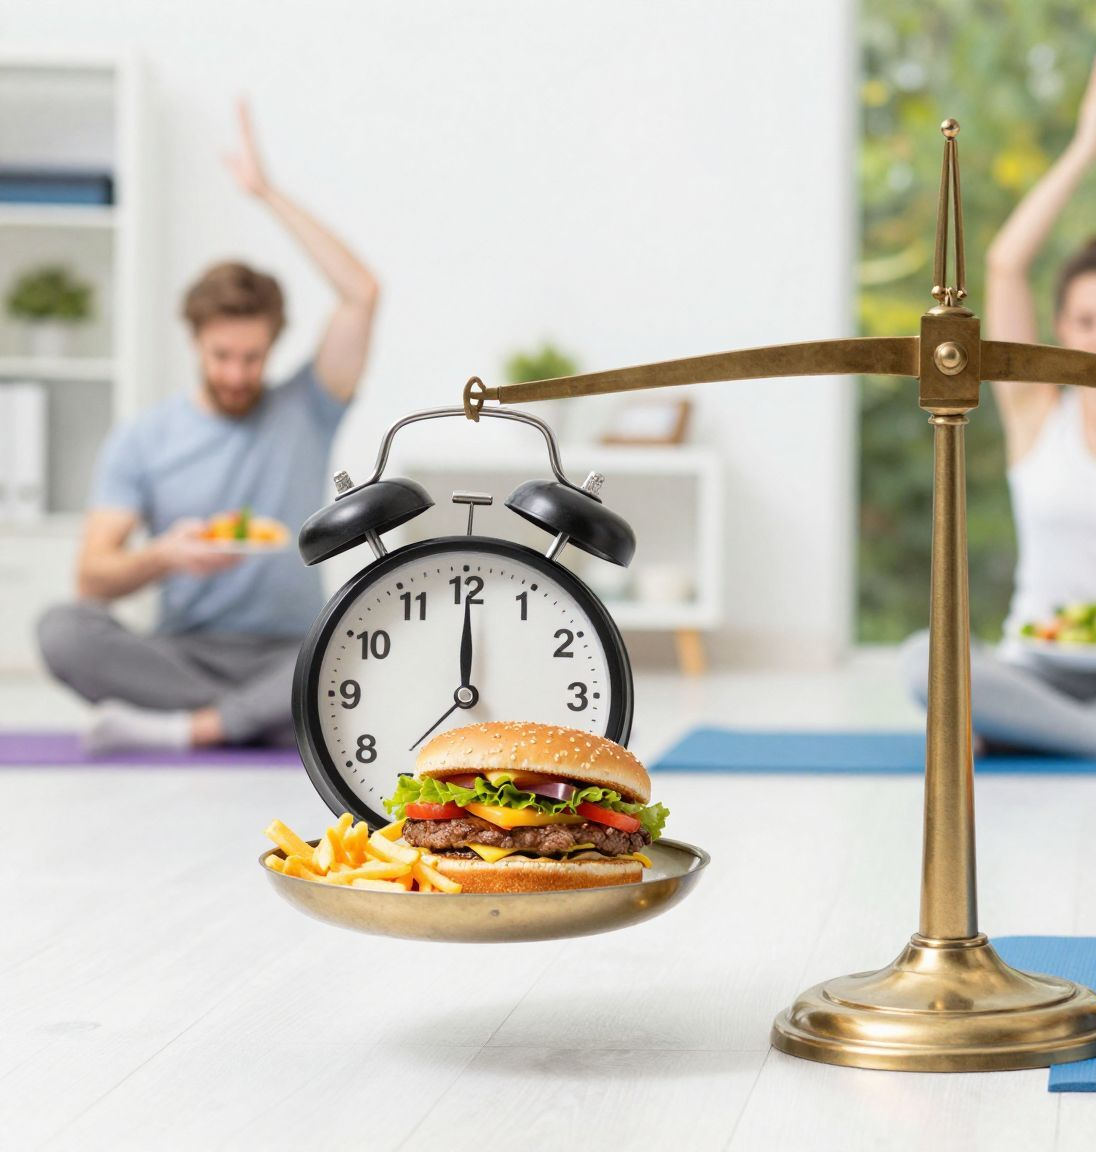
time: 12:00
